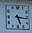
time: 5:16
